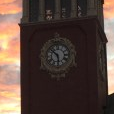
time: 5:51
